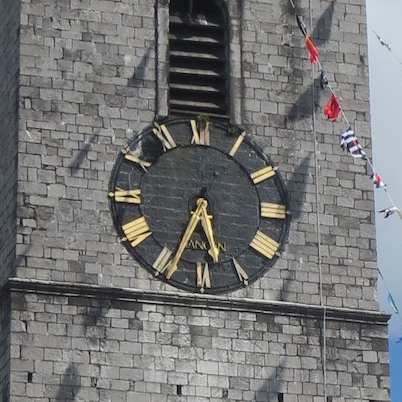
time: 5:33
